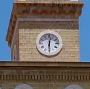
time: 12:29
